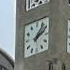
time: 2:06
